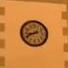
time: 8:41
